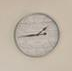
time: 1:44
